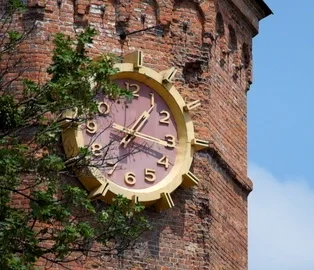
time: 1:18
